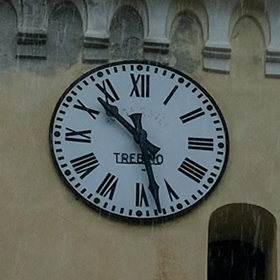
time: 10:28
